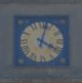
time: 4:02
